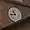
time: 10:43
